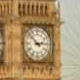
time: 2:52
